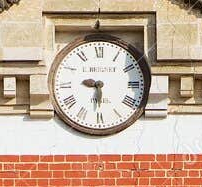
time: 9:30
